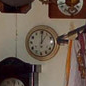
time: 1:00
